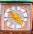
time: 4:52
